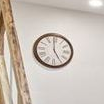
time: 4:59
